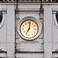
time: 7:01
